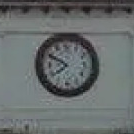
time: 7:49
